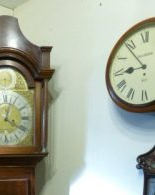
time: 8:53
